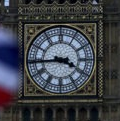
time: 3:44
